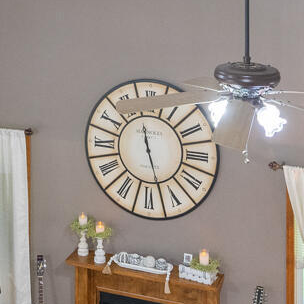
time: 11:27
